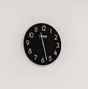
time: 11:28
